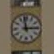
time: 2:58
